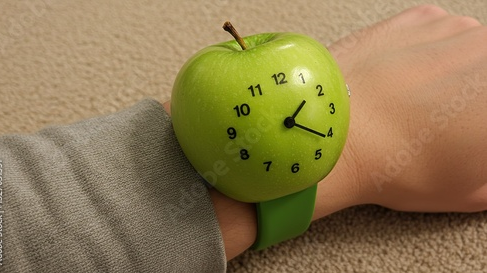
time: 1:20
